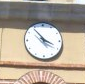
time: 3:53
